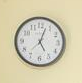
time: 5:03
